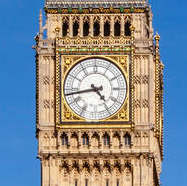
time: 4:43
